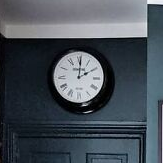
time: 2:00
